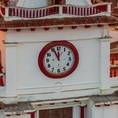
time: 11:55
